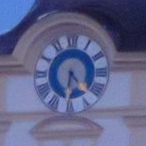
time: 4:31
